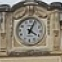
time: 4:03
